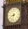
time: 8:32
